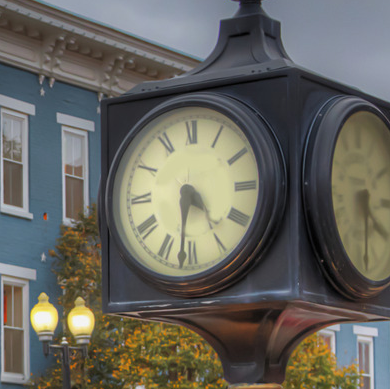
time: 4:31
